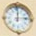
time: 12:13
